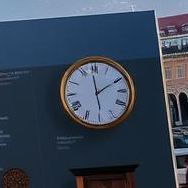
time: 1:59
